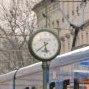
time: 5:38
